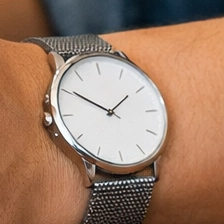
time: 1:50
